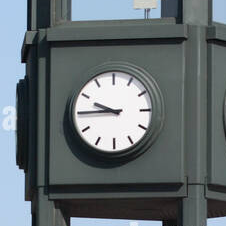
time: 9:44
